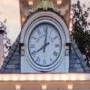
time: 8:01
